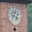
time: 7:12
